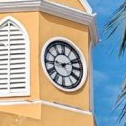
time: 9:11
